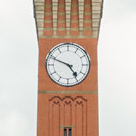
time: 4:48
